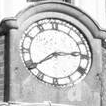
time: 2:39
